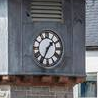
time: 1:34
